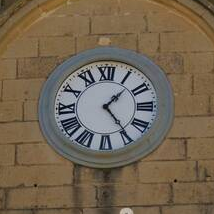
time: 1:24
